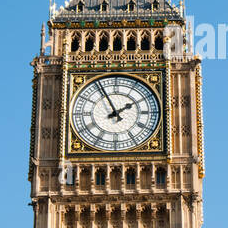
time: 1:56
